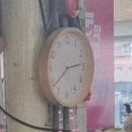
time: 2:38
